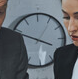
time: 3:48
